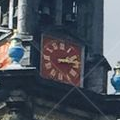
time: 2:13
